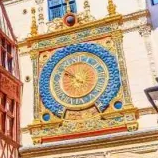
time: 9:50
